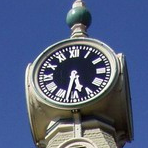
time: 5:32
